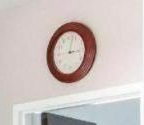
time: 3:02
